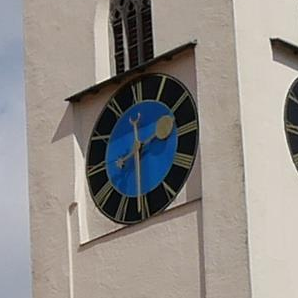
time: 2:30
